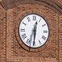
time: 12:30
